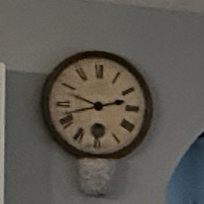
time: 9:42
